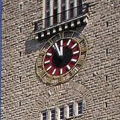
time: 11:55
